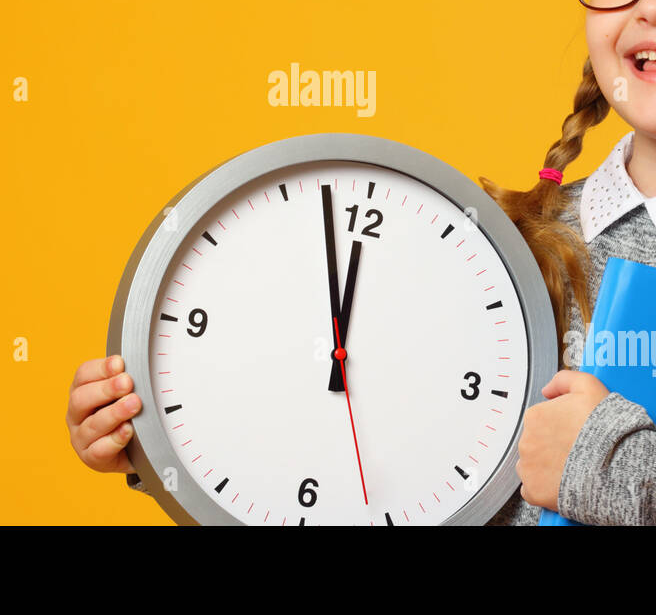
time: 11:57
